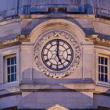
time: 5:00
